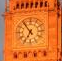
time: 6:54
